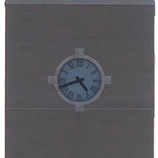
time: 4:41
